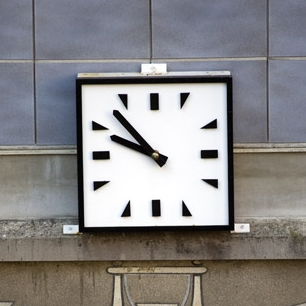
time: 9:52
